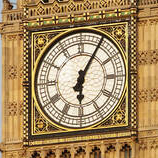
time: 6:05
